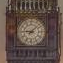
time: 9:08
